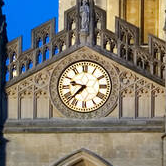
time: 9:37
